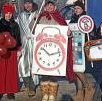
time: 10:12
